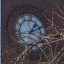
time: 1:10
